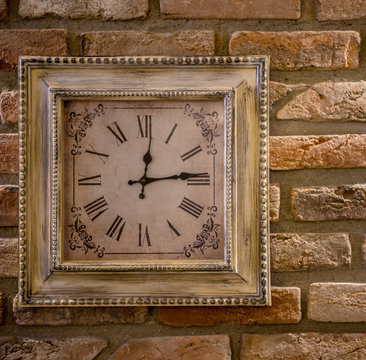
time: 12:14
